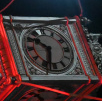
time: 6:50
